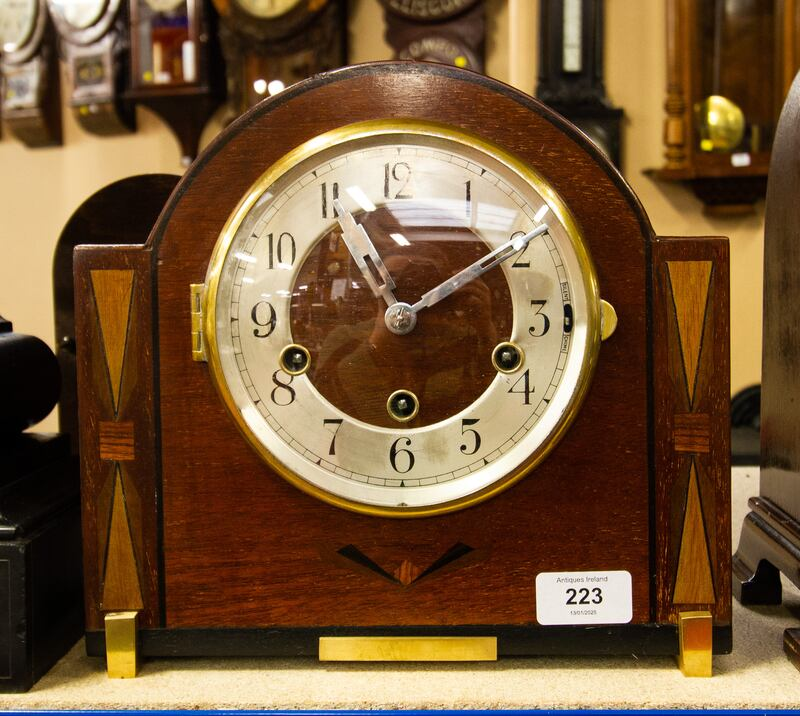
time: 11:09
